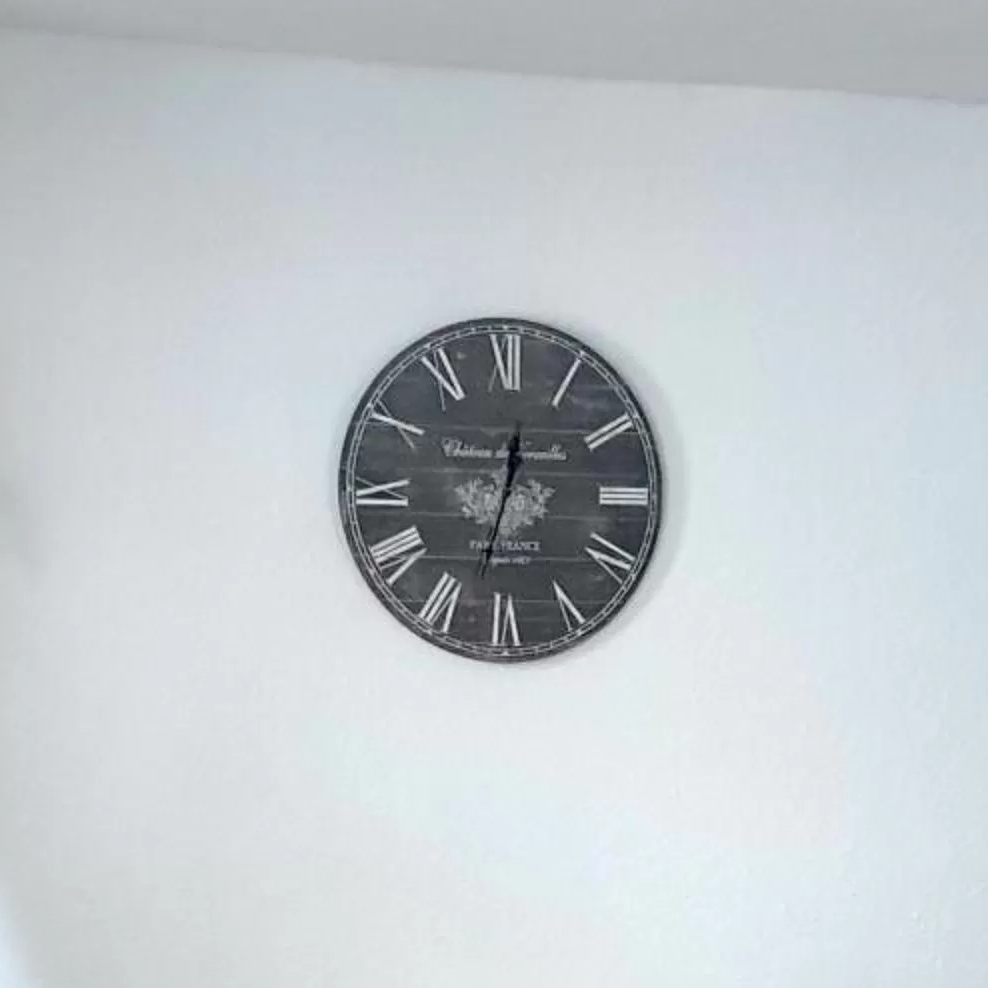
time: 12:32
